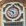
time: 5:51
